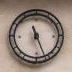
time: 11:26
